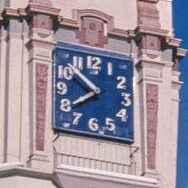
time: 7:52
